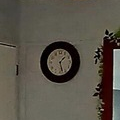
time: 1:27
